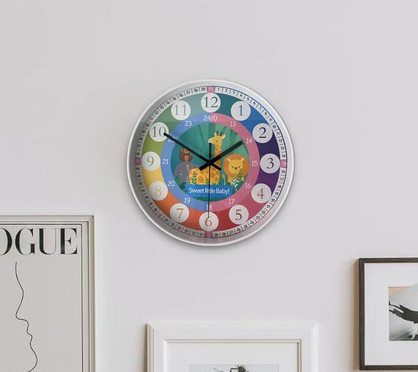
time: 12:08
